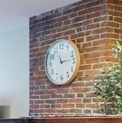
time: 11:13
